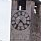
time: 4:35
